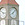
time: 8:07
